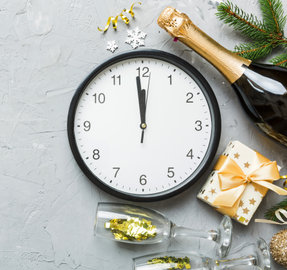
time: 11:58
